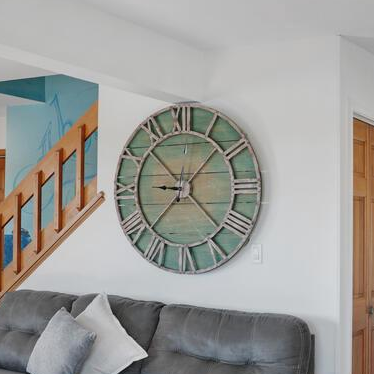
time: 9:07
